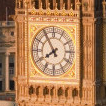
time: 7:54
